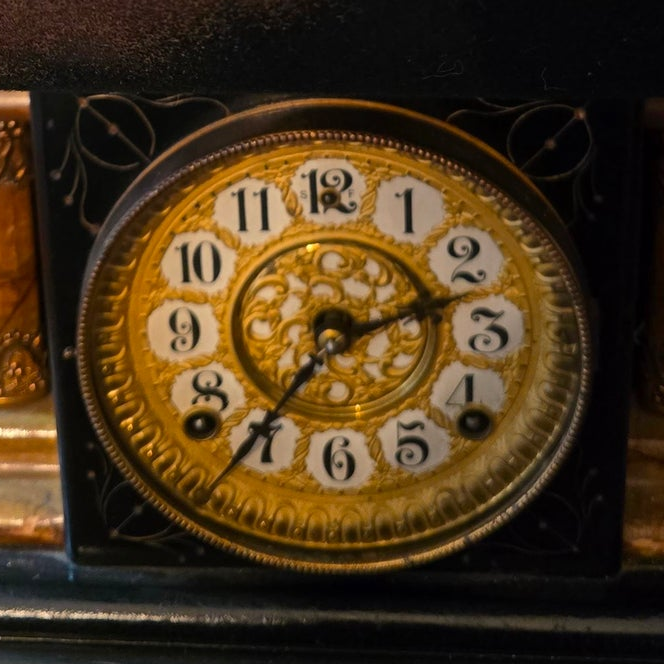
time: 2:36
